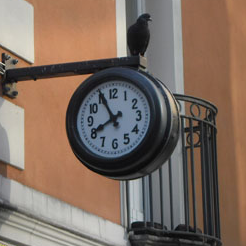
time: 7:55
